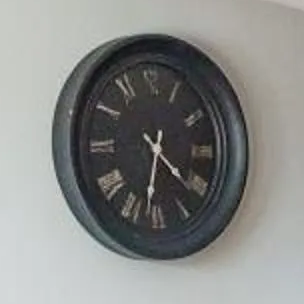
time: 4:32
